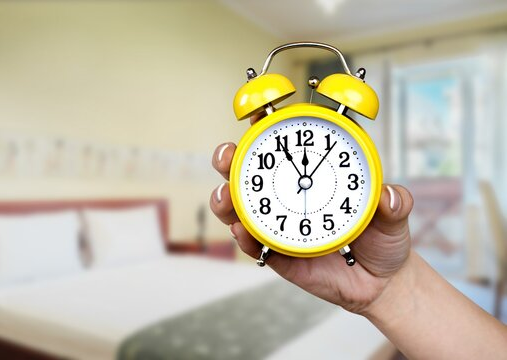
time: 11:06
